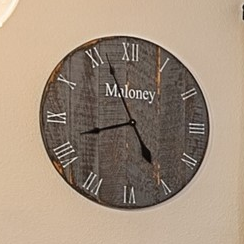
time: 4:56
